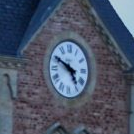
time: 4:49
